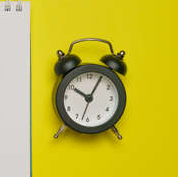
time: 10:05
